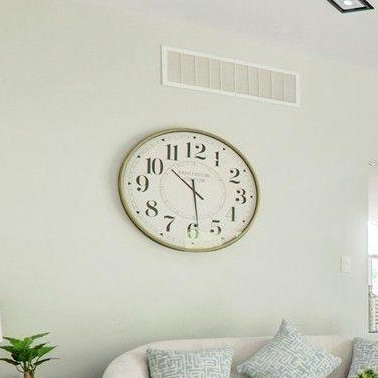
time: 10:28
